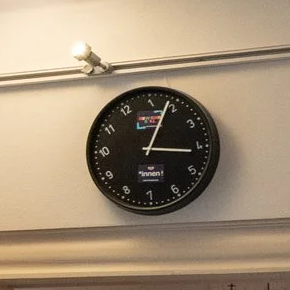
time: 3:03
